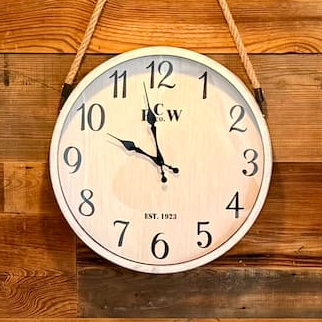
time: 9:57
